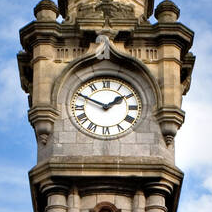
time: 1:49
